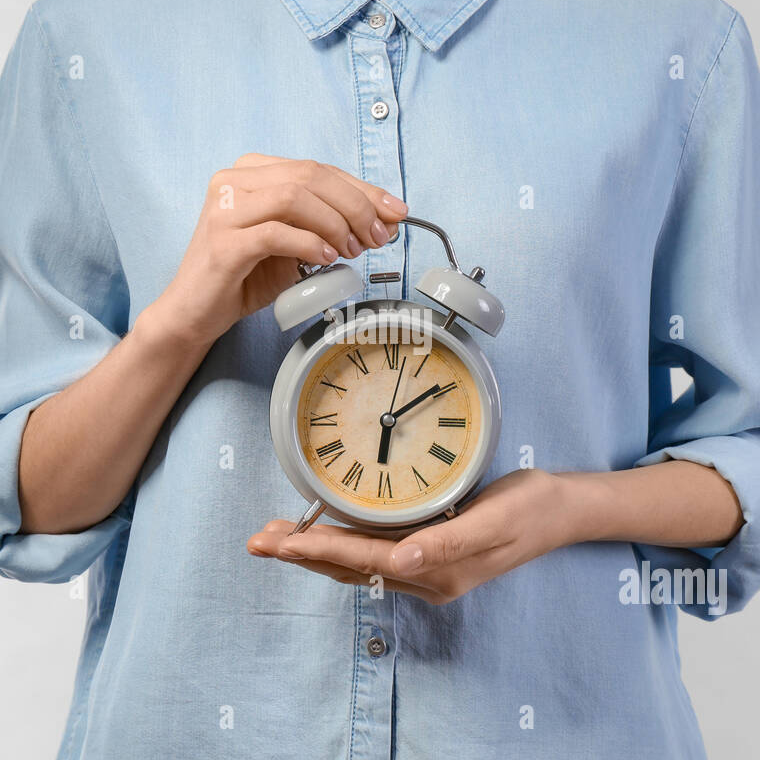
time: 6:09
